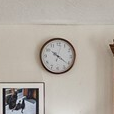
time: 10:21
